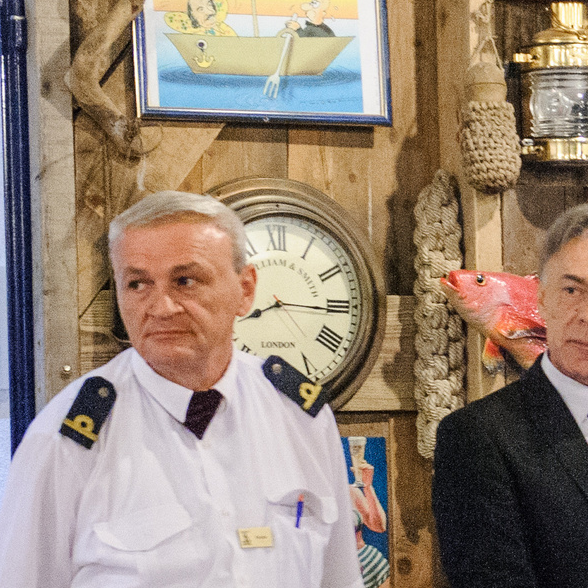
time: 8:15
